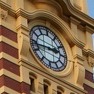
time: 2:43
